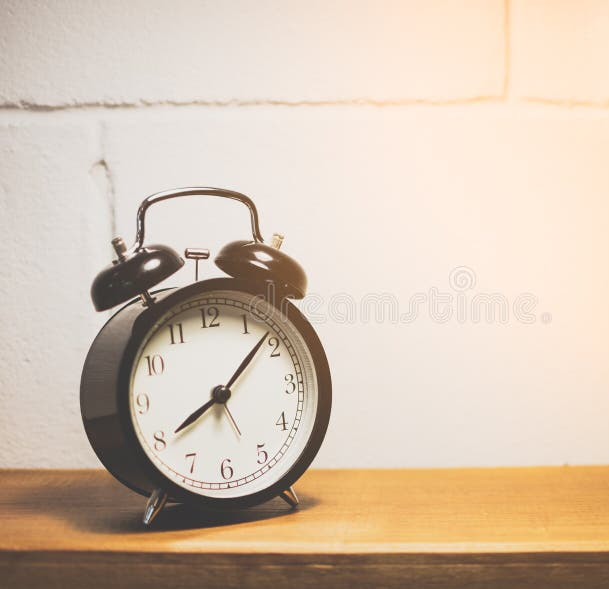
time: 8:07
